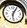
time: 6:05
